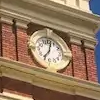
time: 7:02
